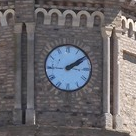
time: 2:09
